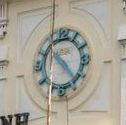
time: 10:22
